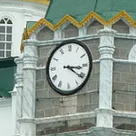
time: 3:21
